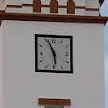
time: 5:55
